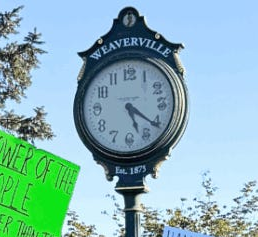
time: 5:21
